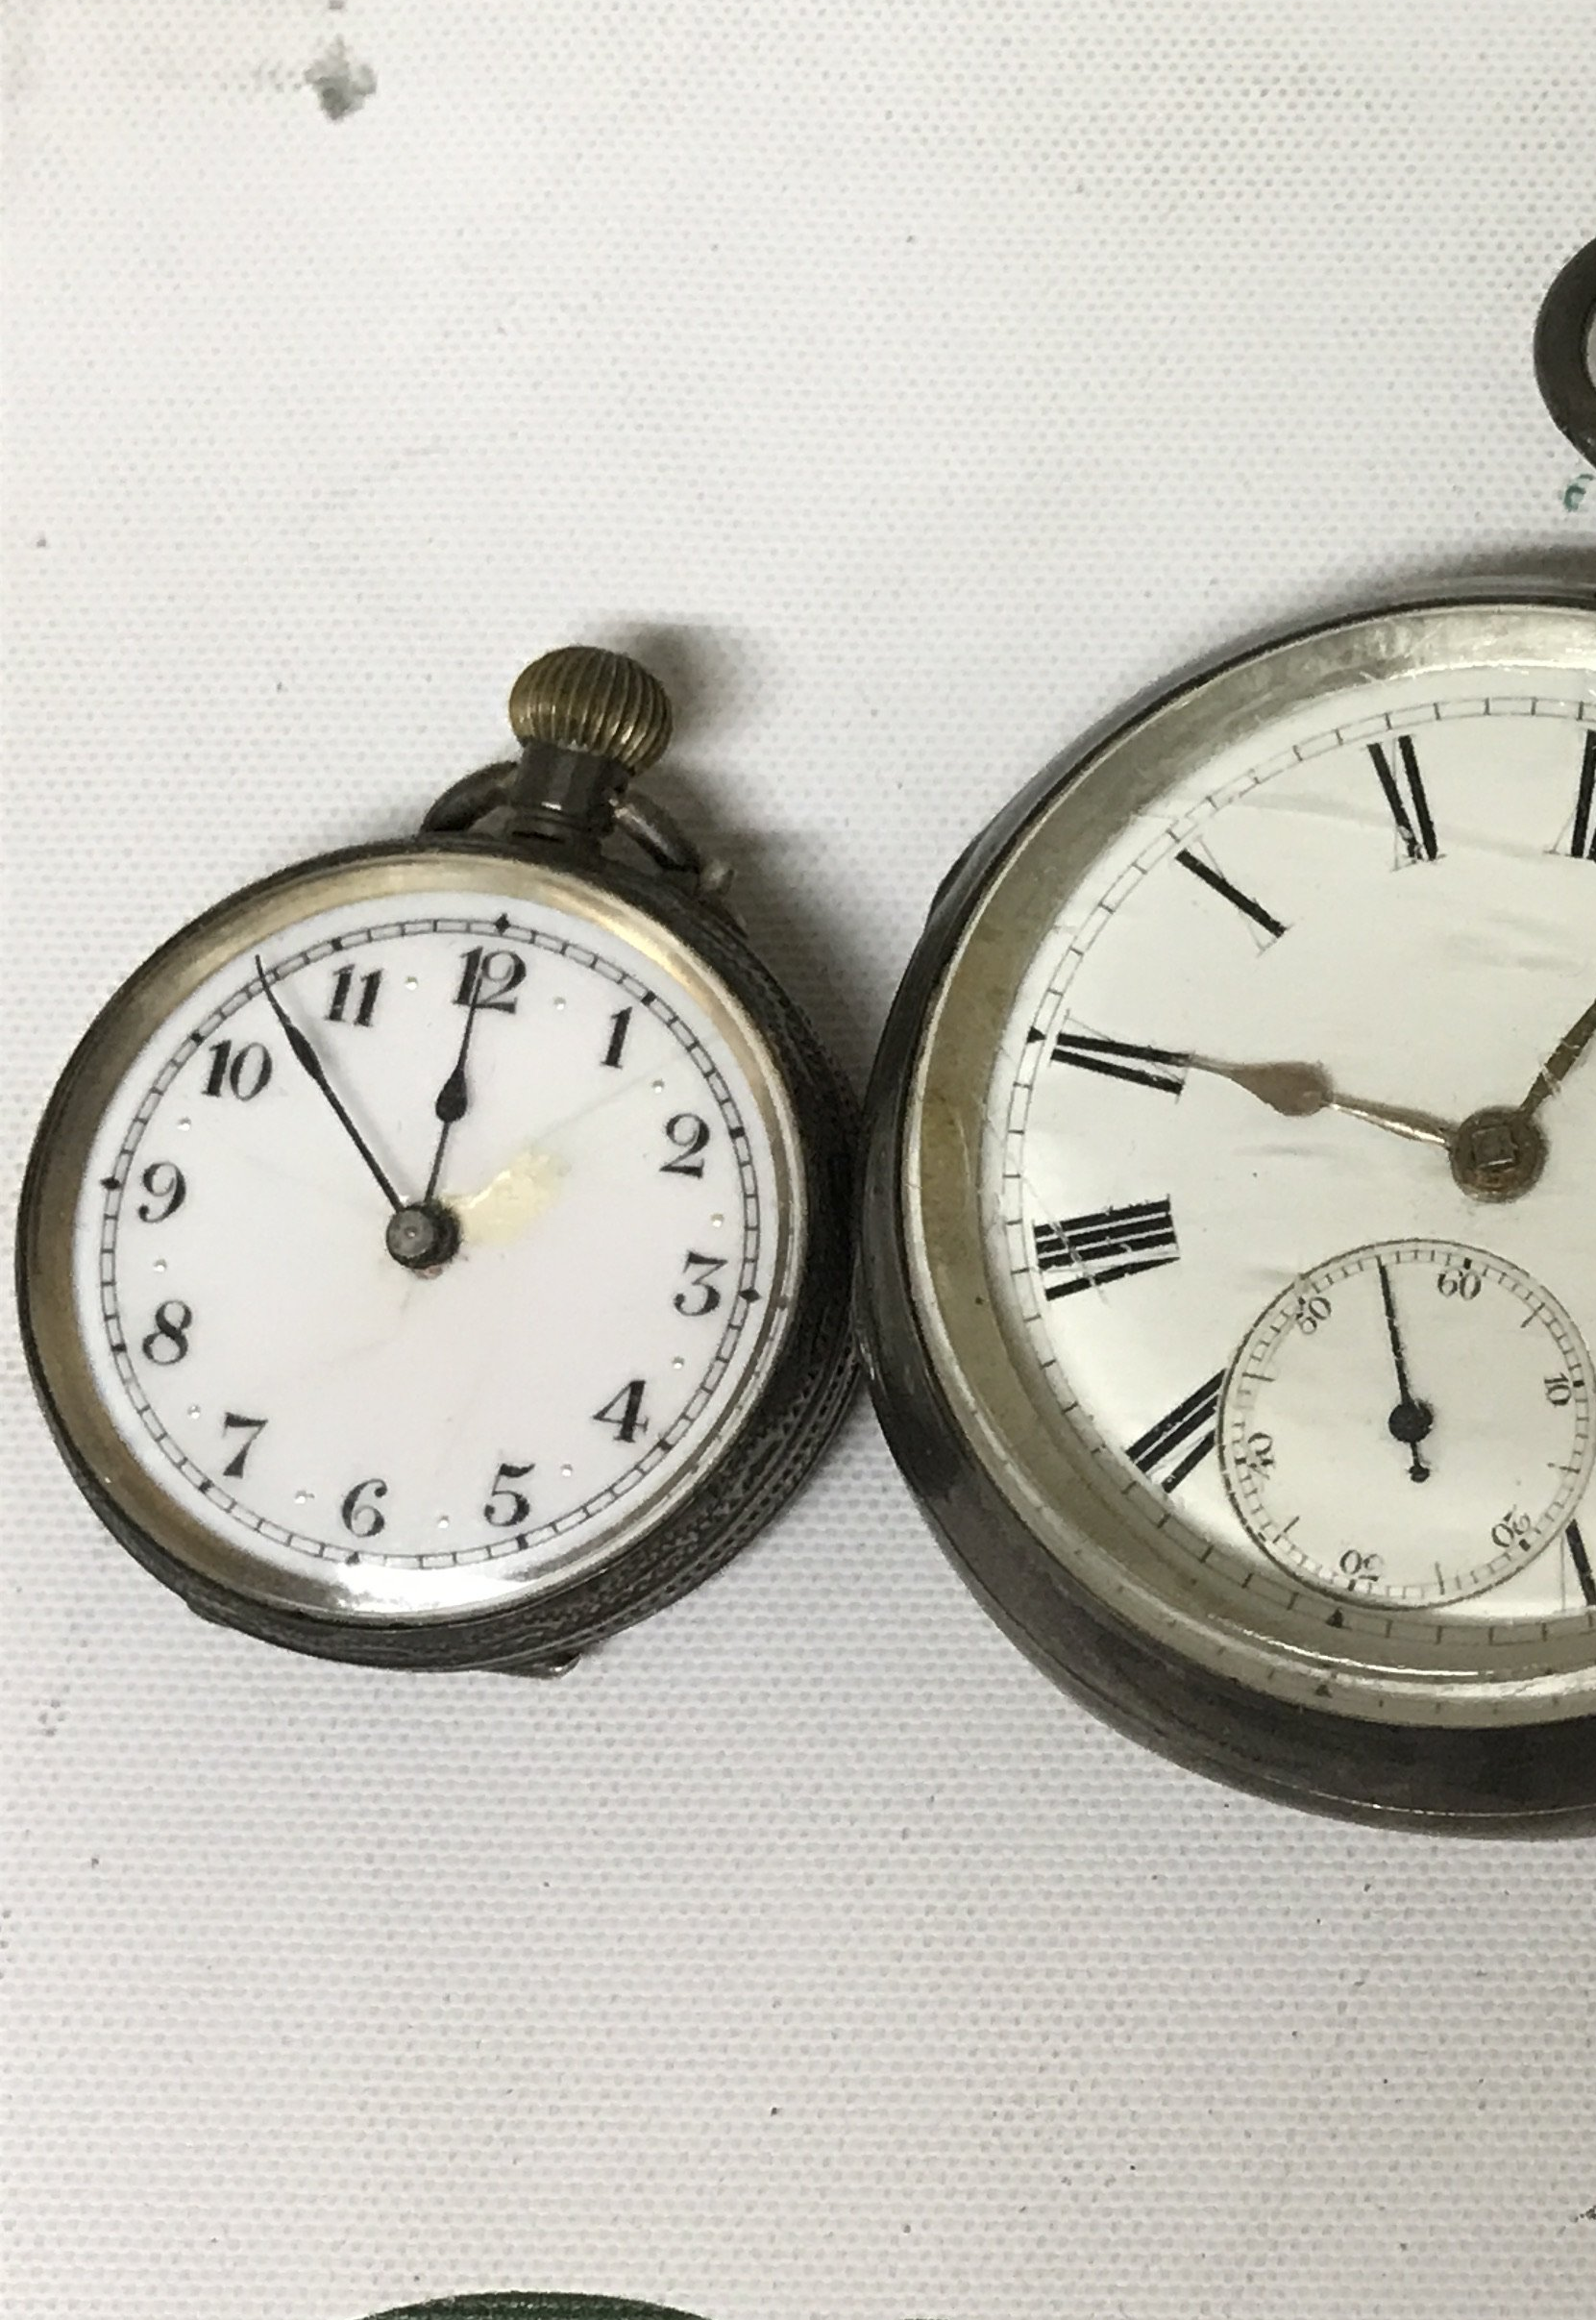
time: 11:52
